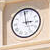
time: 2:58
